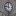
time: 11:46
